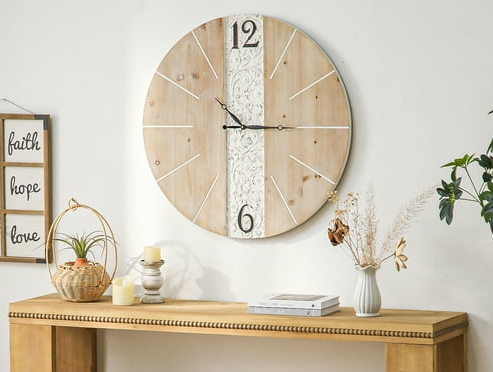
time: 10:14
